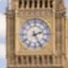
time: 2:25
